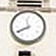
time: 11:40
